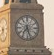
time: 7:27
